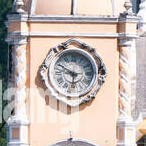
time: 5:49
